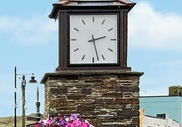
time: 2:27
